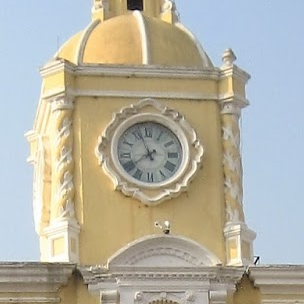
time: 7:57
